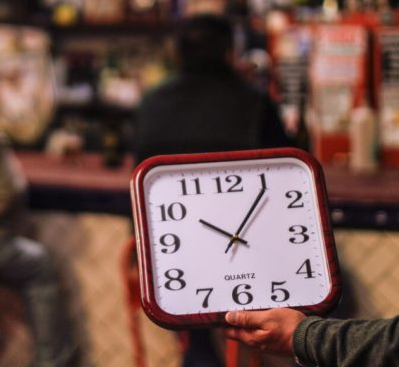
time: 10:06
